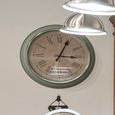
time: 3:04
